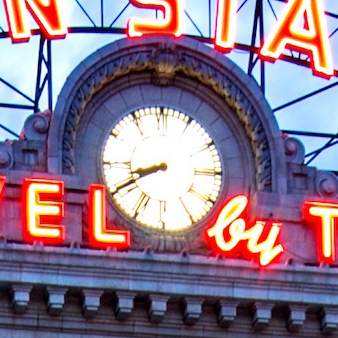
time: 8:40
